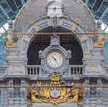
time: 4:52
